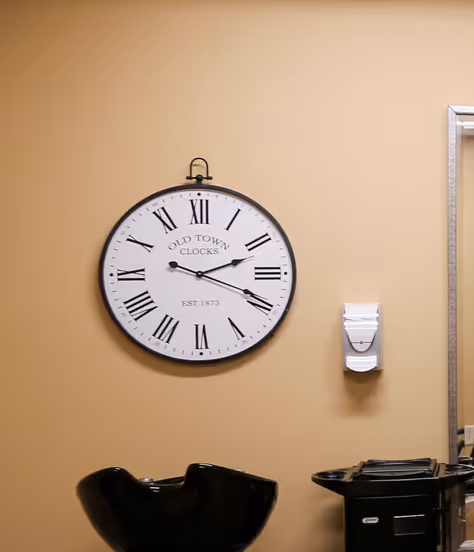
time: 2:18
